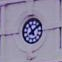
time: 11:08
